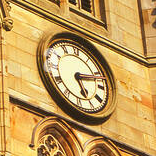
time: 5:12
